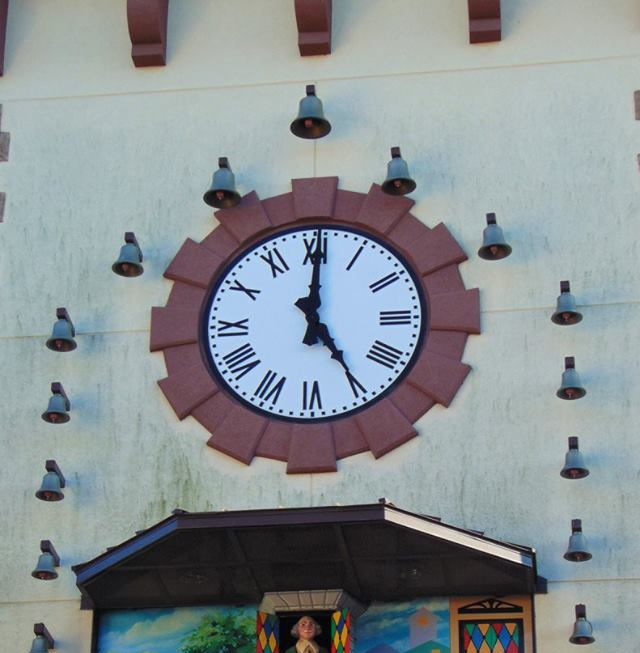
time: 5:00
